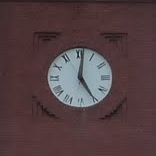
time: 5:01
